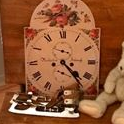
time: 4:23
